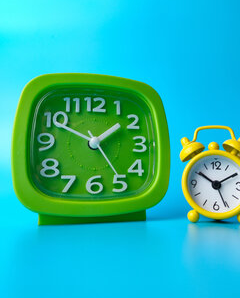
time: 1:49
